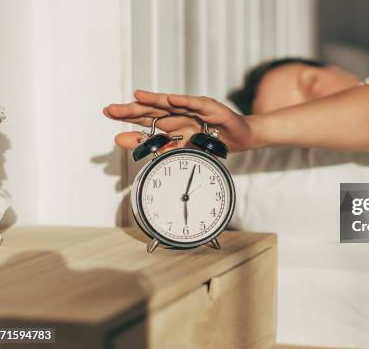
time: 6:03
